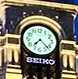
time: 7:22
